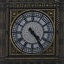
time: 4:24
